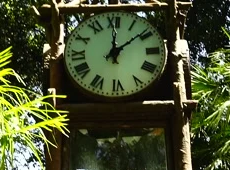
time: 12:08
